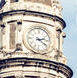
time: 2:21
